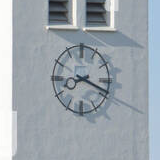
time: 8:18
